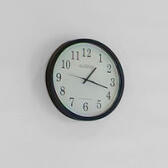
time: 1:17
